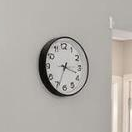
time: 3:34
